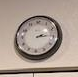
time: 2:14
